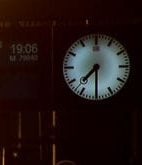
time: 7:30
